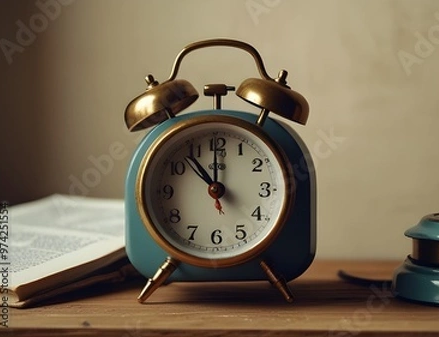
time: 11:52
